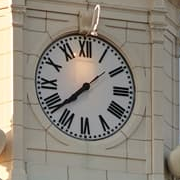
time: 7:37
